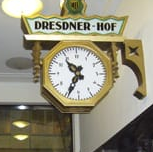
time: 10:34
